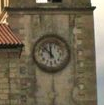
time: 11:52
